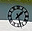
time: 1:27
